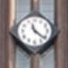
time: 11:21
